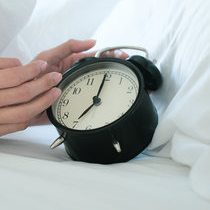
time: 7:00
